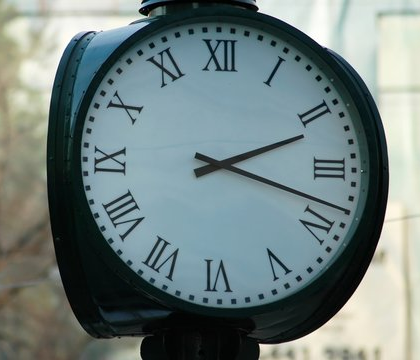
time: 2:18
